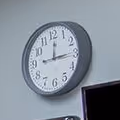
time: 12:14
